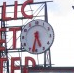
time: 5:32
